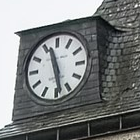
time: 11:28
